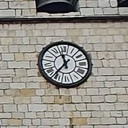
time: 11:36
